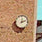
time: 12:12
